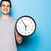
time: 5:54
